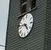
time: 4:46
